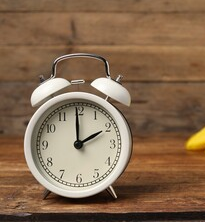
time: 2:00
